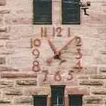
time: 11:07
